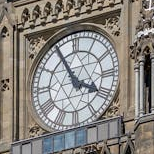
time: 3:55
